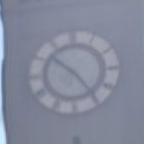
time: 10:24
